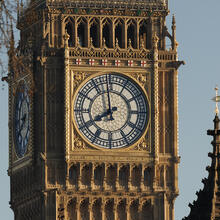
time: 7:58
